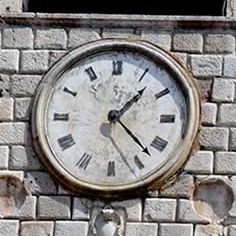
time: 1:22
